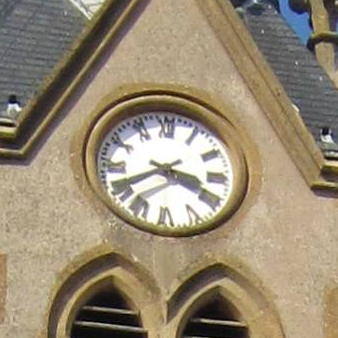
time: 3:40
